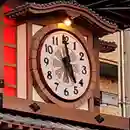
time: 4:59
